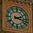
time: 2:18
